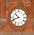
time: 10:41
